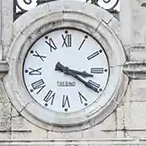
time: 3:20
